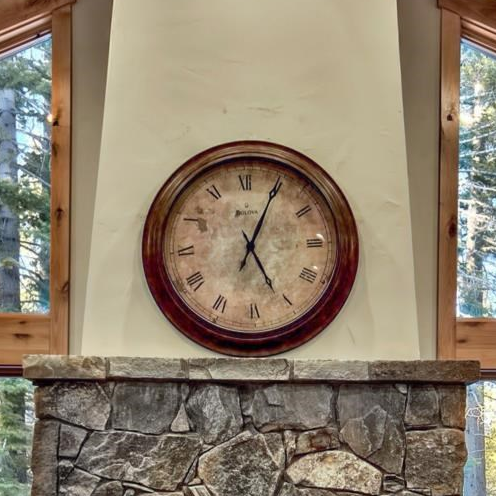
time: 5:04
